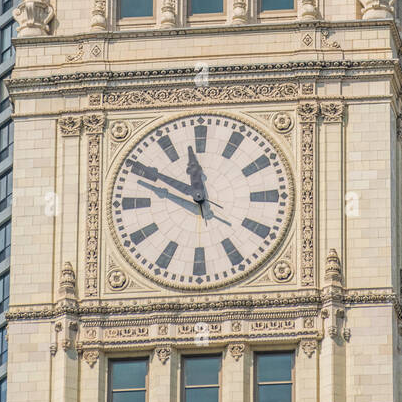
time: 11:49
